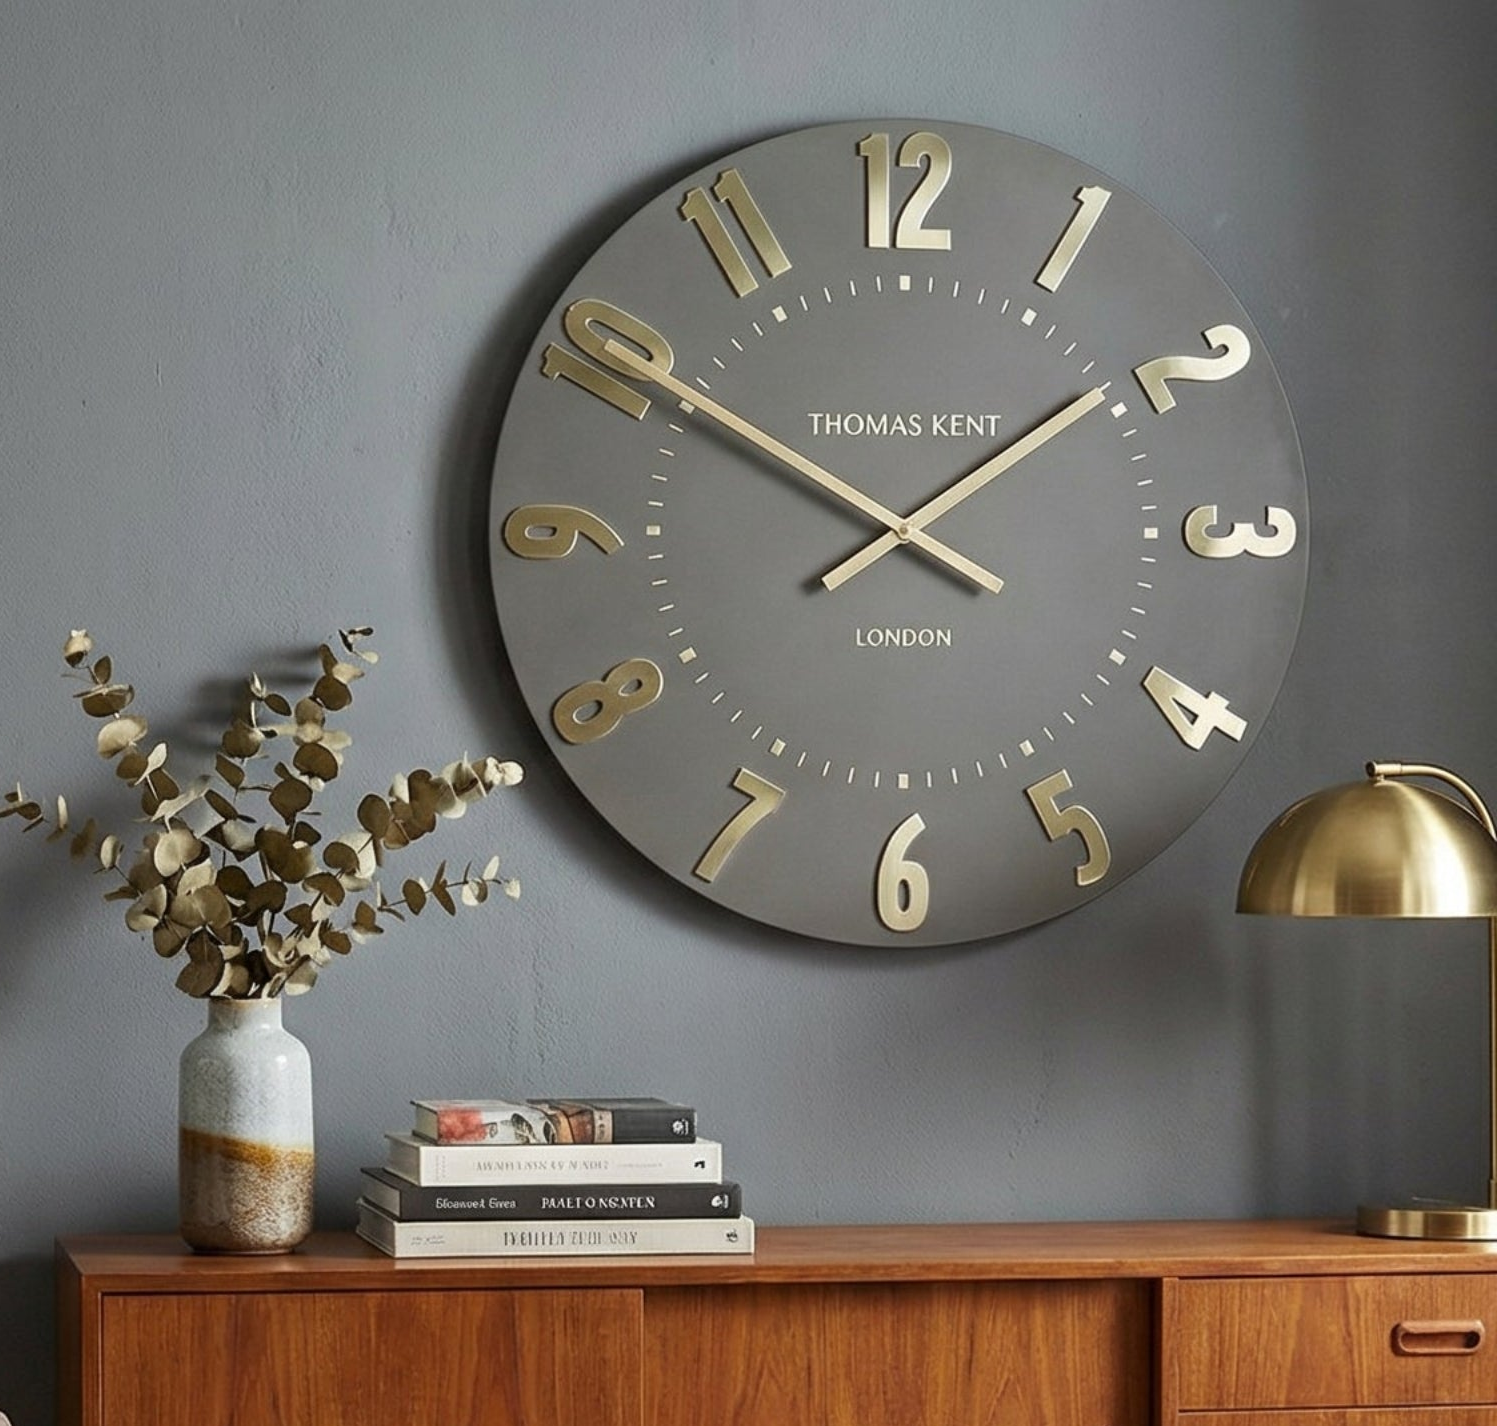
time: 1:50
